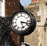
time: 5:17
